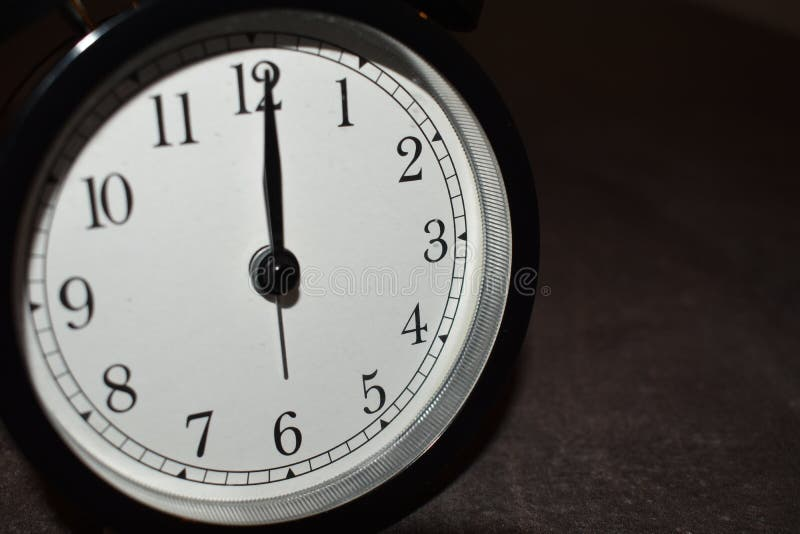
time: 12:00
